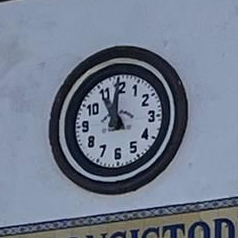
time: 10:59
